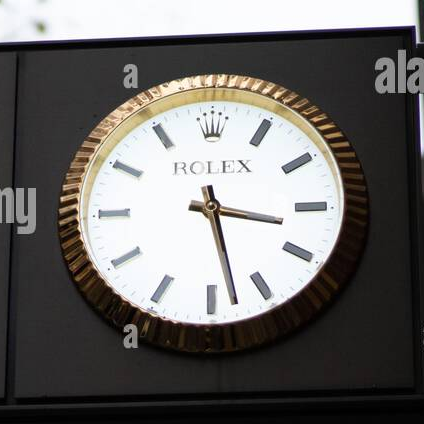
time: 3:27
